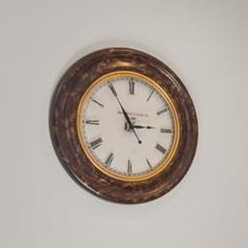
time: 2:54
